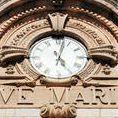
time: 5:02
